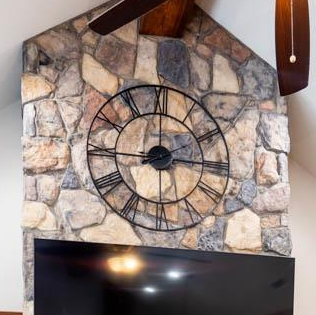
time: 2:15
